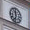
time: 11:32
